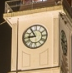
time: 8:54
